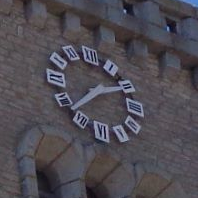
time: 1:37
